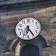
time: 6:24
